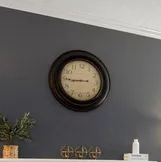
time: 8:44
